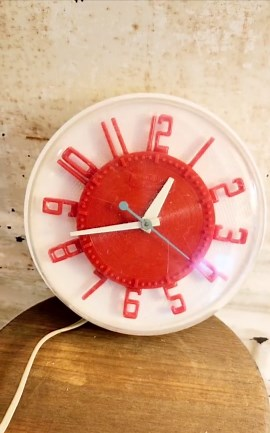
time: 12:42
